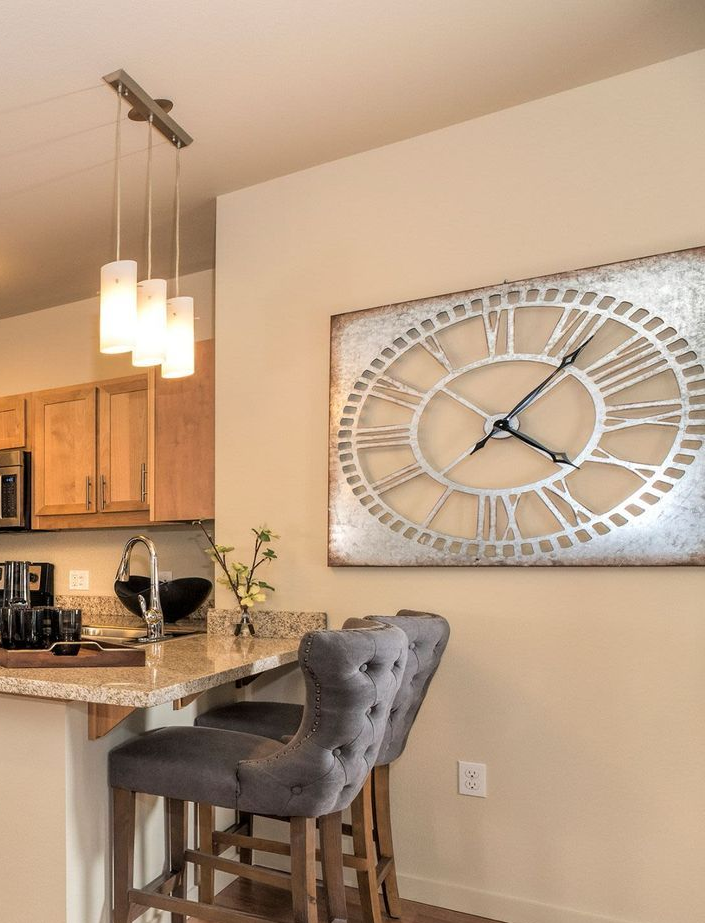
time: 4:07
